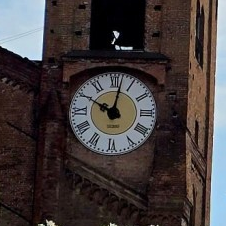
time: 10:02
